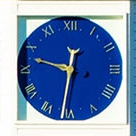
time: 9:31
